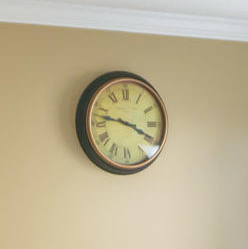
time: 3:47
